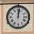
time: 12:01
